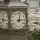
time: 3:02
